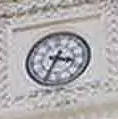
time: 3:34
